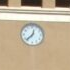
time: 12:37
